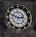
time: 2:48
